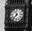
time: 11:36
